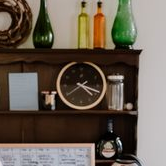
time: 4:18
